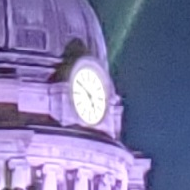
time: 4:50
